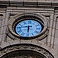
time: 5:45
